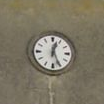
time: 12:25
